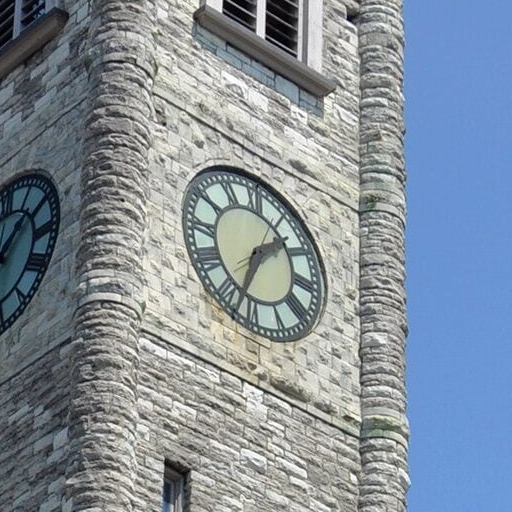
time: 1:33
